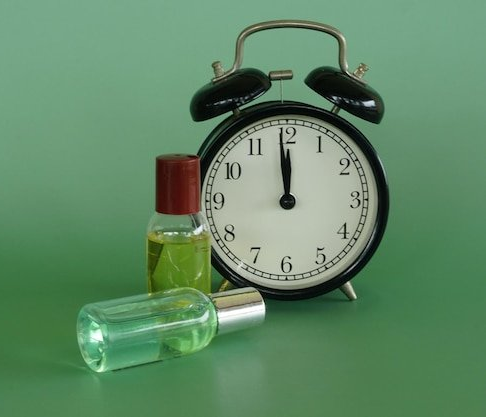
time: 11:58
